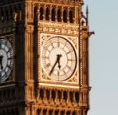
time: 5:35
